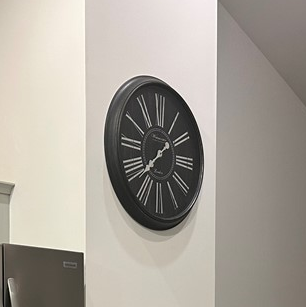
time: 1:37
